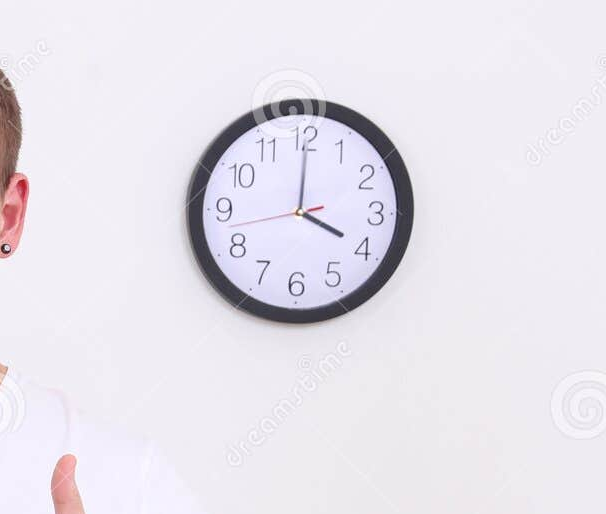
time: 4:00
